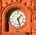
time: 1:27
